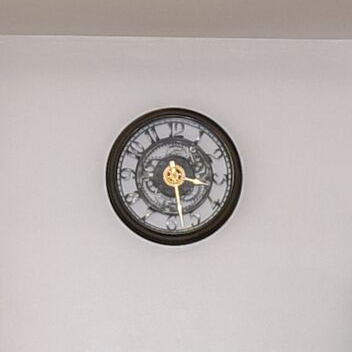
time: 3:28
